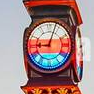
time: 9:03
